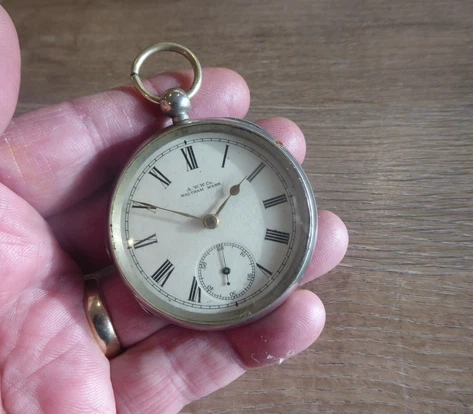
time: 12:45
